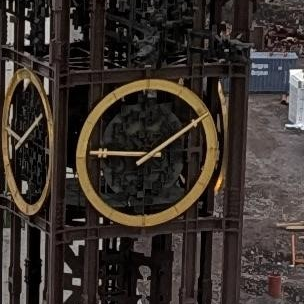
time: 9:09
